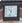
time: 10:32
